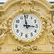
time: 2:58
